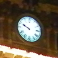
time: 9:48
